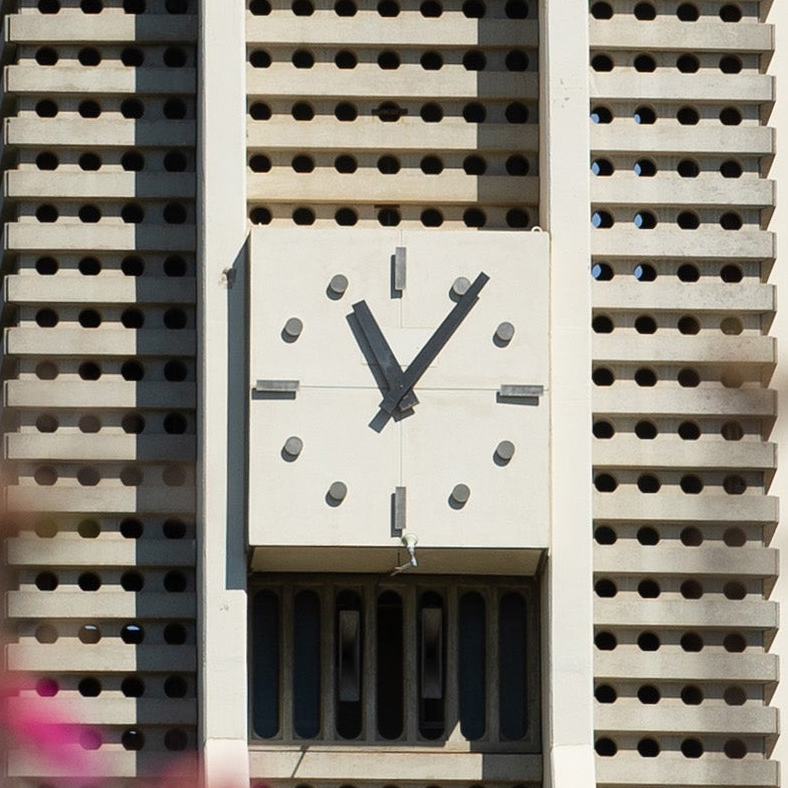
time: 11:06
